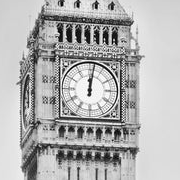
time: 12:01
